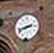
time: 2:42
